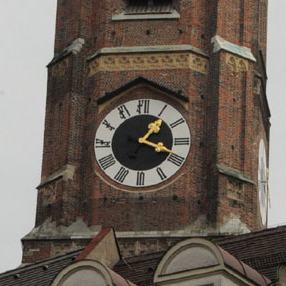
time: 1:18
